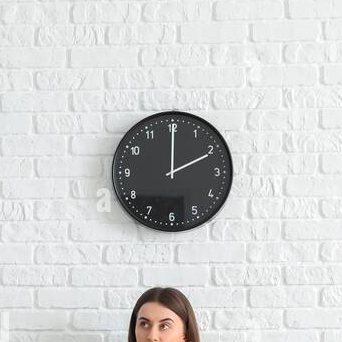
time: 2:00
